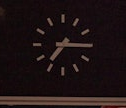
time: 7:15
